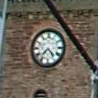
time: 7:23
